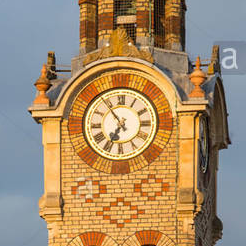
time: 6:54
